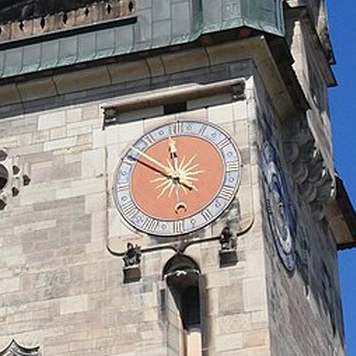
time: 11:50
